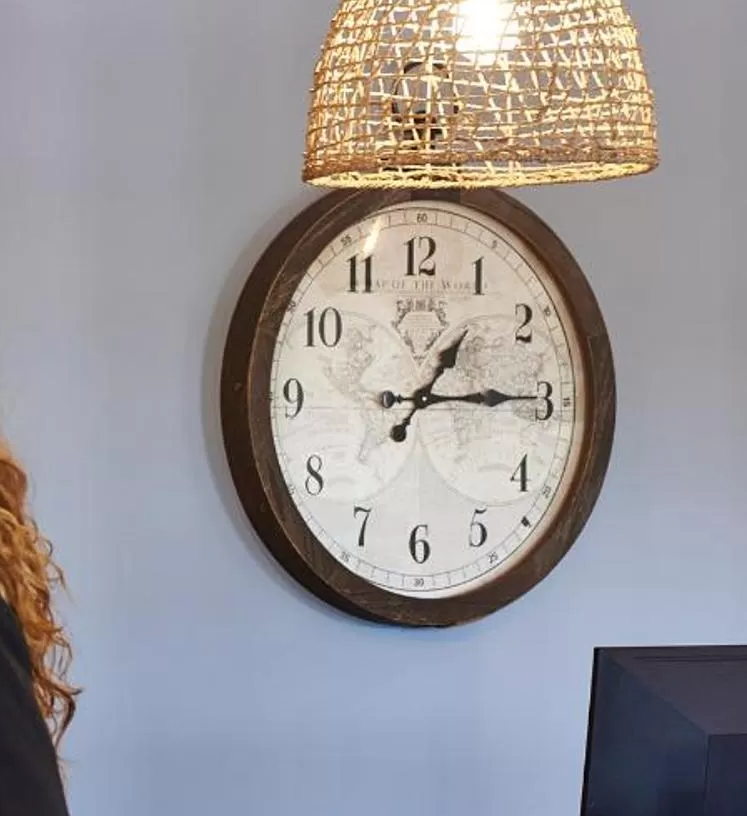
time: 1:14
